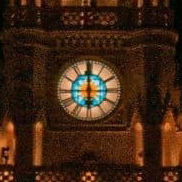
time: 5:59
